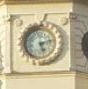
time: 5:12
